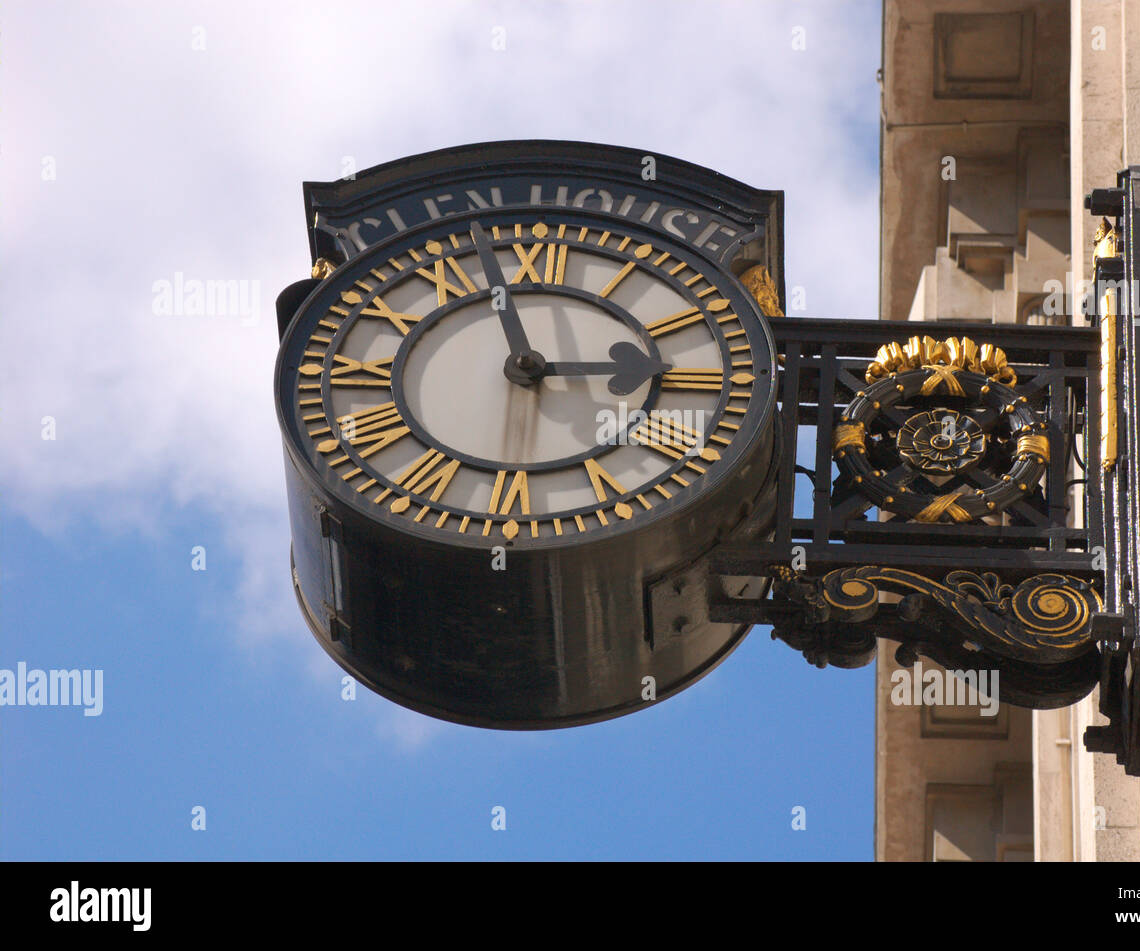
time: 2:57
